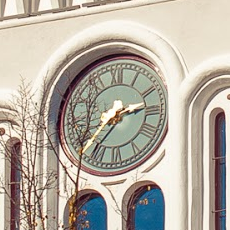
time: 2:36
